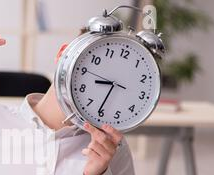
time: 8:31
